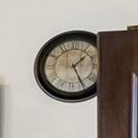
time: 1:25
